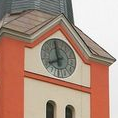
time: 7:59
